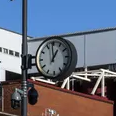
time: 12:59
